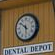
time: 5:51
